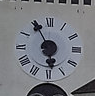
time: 5:55
